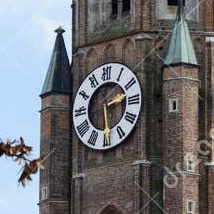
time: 2:29
